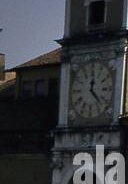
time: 12:22
